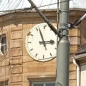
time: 2:56
